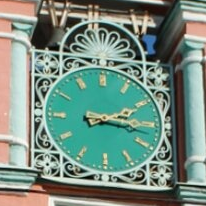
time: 2:15
